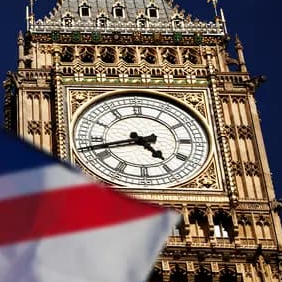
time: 4:42
